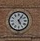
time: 5:05
